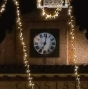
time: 7:01
